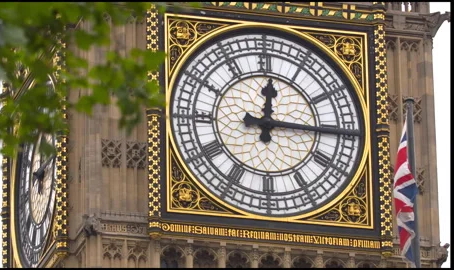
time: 12:15
